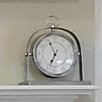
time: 6:55
